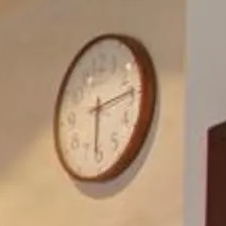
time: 6:14
